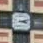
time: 3:12
